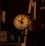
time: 10:02
